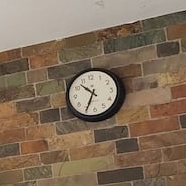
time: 10:34
